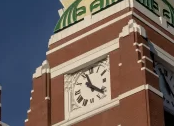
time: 11:21
